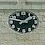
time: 1:46
